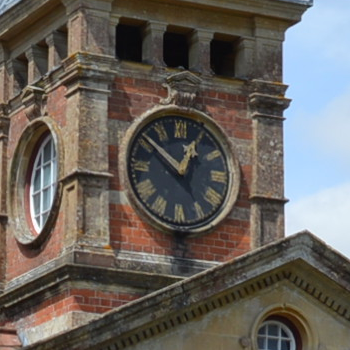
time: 12:51
